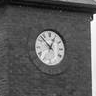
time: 12:52
